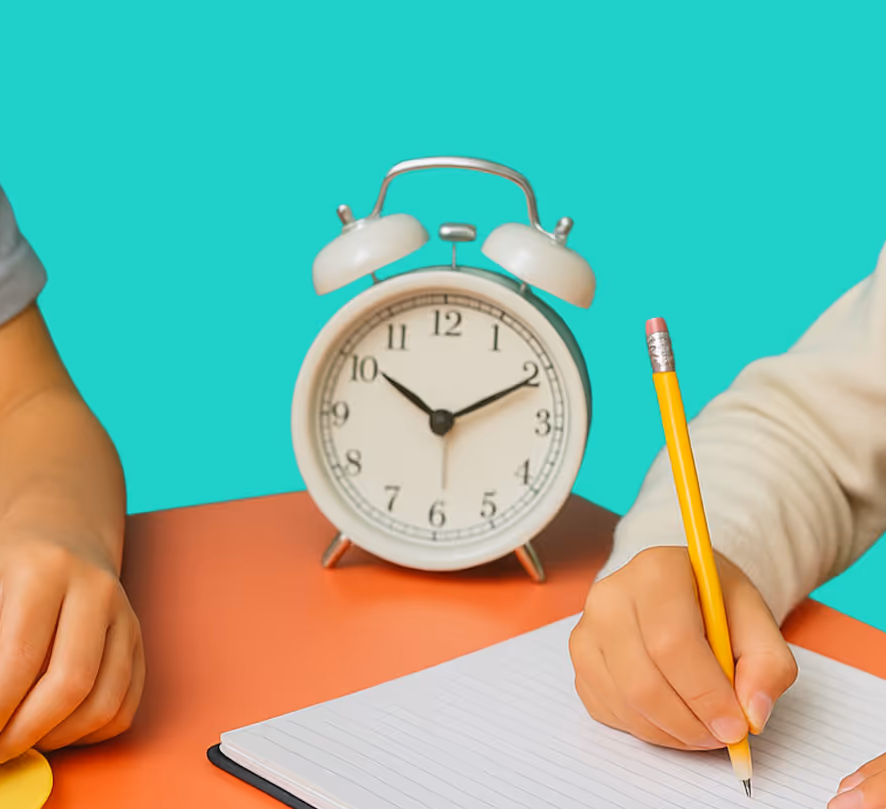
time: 10:10
